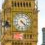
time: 4:22
